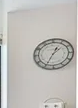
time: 1:34
